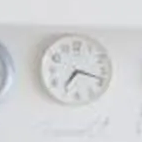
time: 7:18
